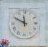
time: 11:49
